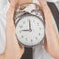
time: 11:46
